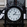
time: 1:16
